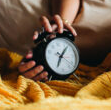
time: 1:34
